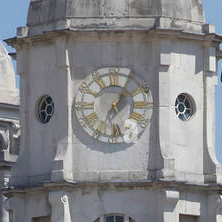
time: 1:05
